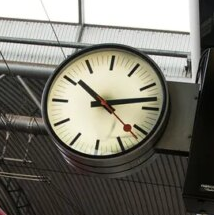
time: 10:13
